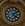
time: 4:09
